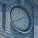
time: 1:40
